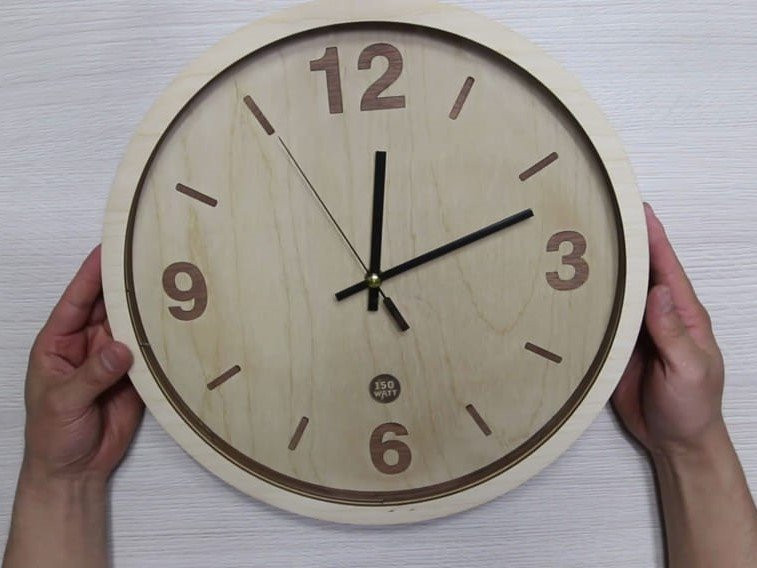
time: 12:12
